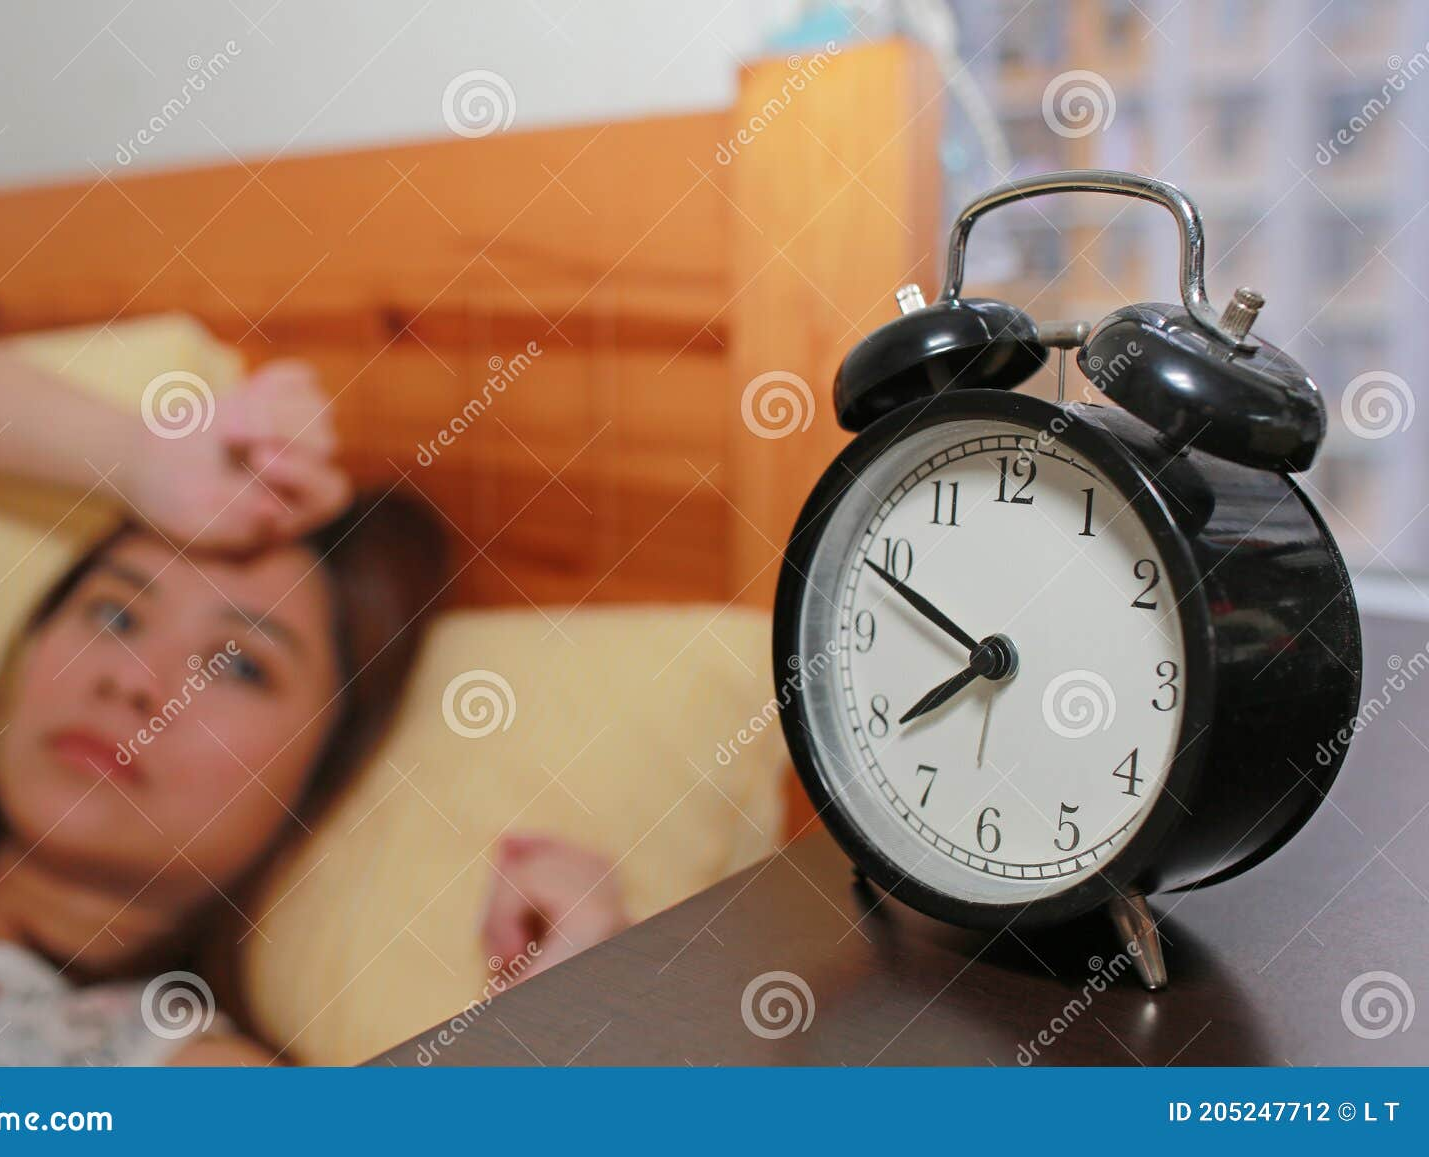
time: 7:49
